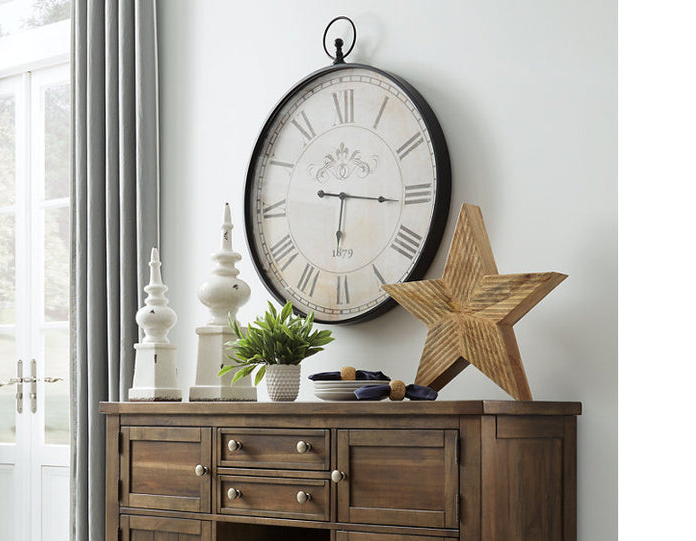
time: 6:16
